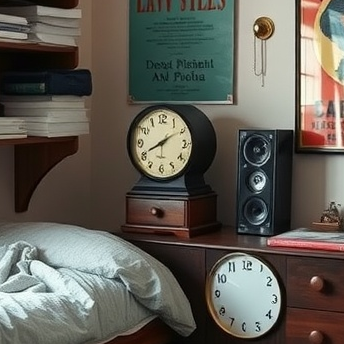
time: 8:09
